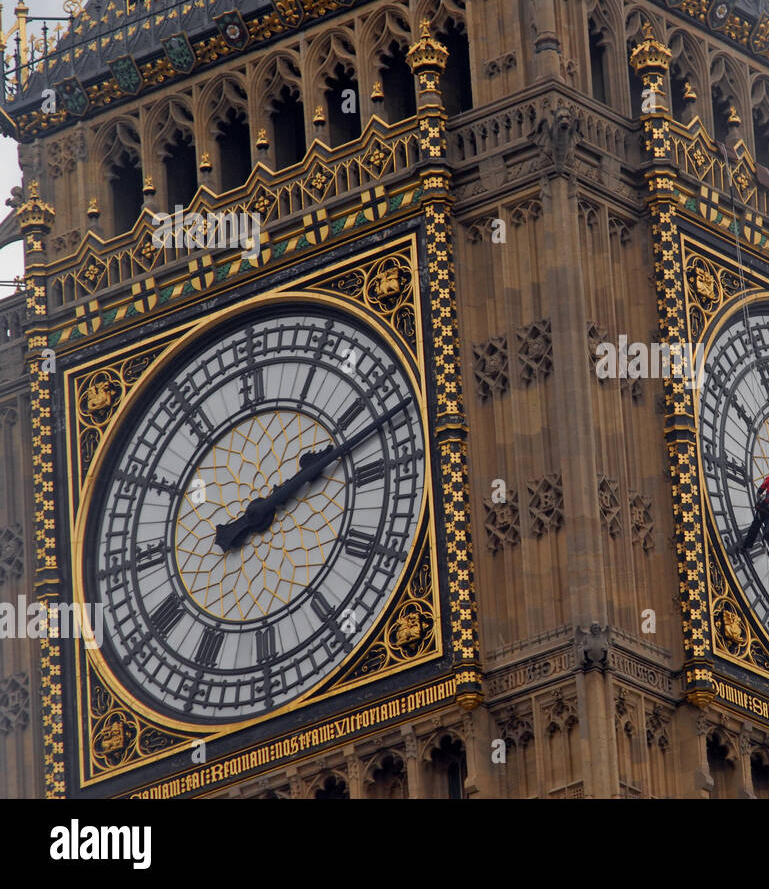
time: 2:12
